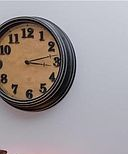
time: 3:13
